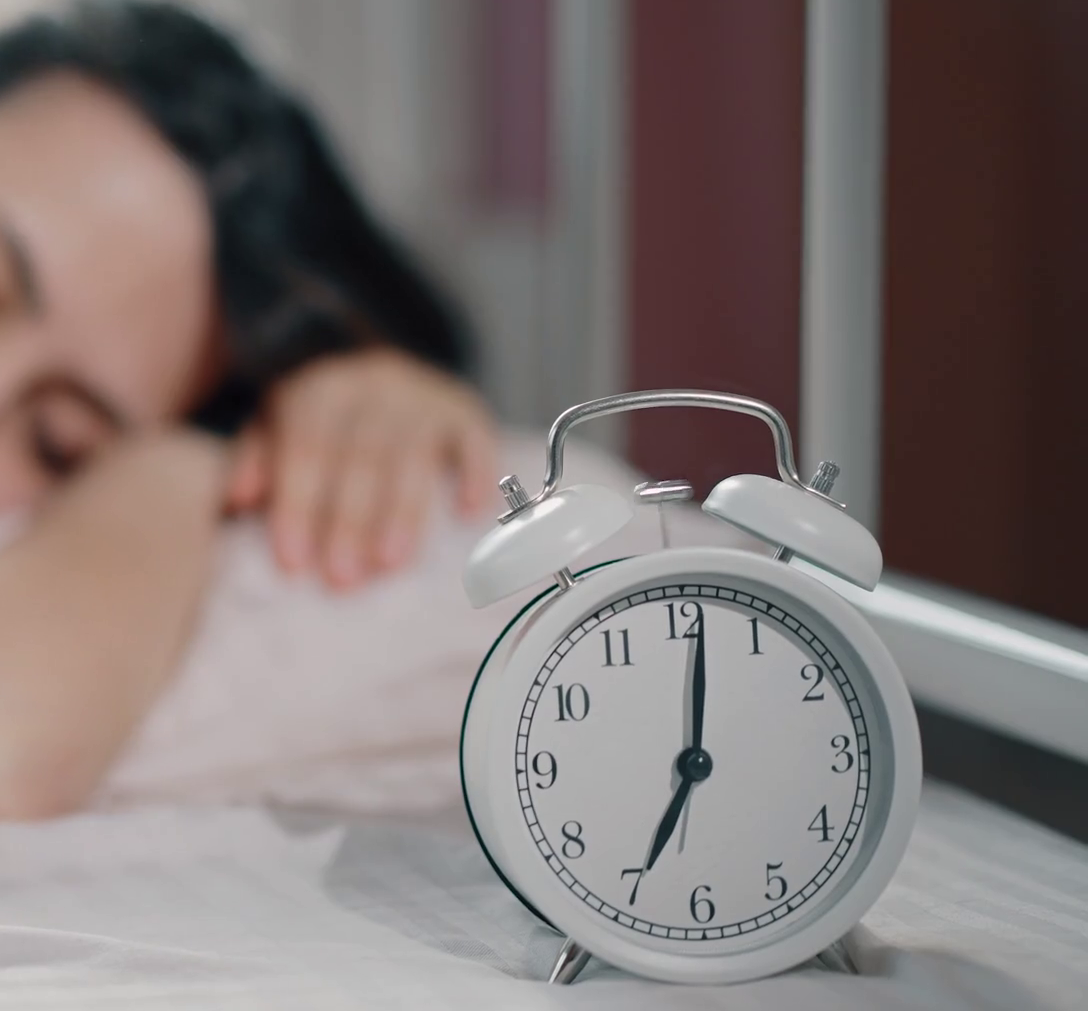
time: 7:01
